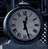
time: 12:27
